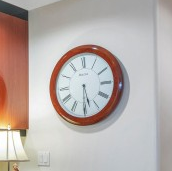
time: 5:29
